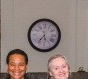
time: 5:36
